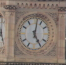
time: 5:01
